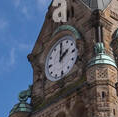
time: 2:01
